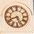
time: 8:26
